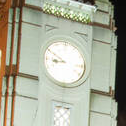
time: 8:49
